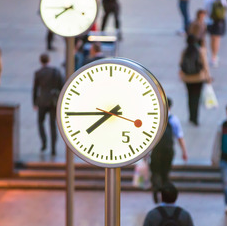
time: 7:44
